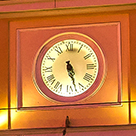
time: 5:27
